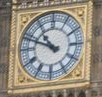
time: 10:48
